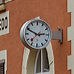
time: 2:49
